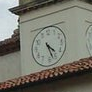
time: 4:26
